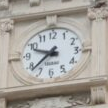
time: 9:38
